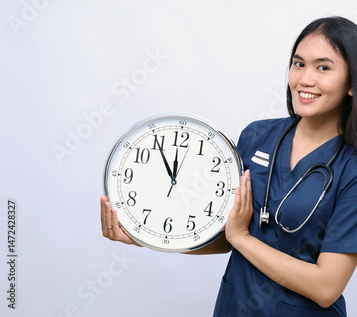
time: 11:54
